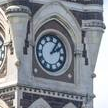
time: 2:06
